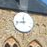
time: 11:43
